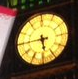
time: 5:44
